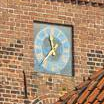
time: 11:37
